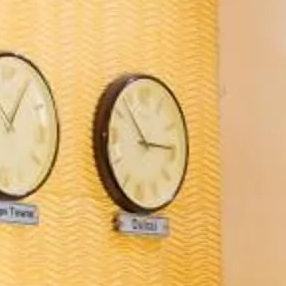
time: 2:53
